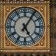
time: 5:05
